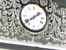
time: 1:38
